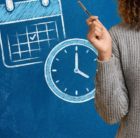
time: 4:00
